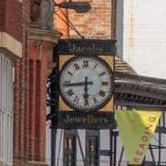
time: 5:43
